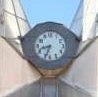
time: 8:33
